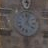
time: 4:02
